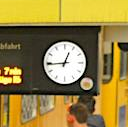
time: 12:44
